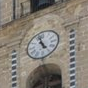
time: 4:57
